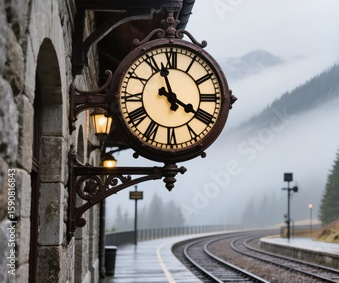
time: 3:57
